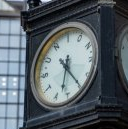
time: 6:24
